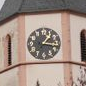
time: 1:16
